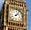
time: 2:06
